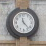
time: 11:22
